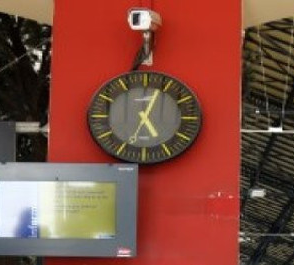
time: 5:03
